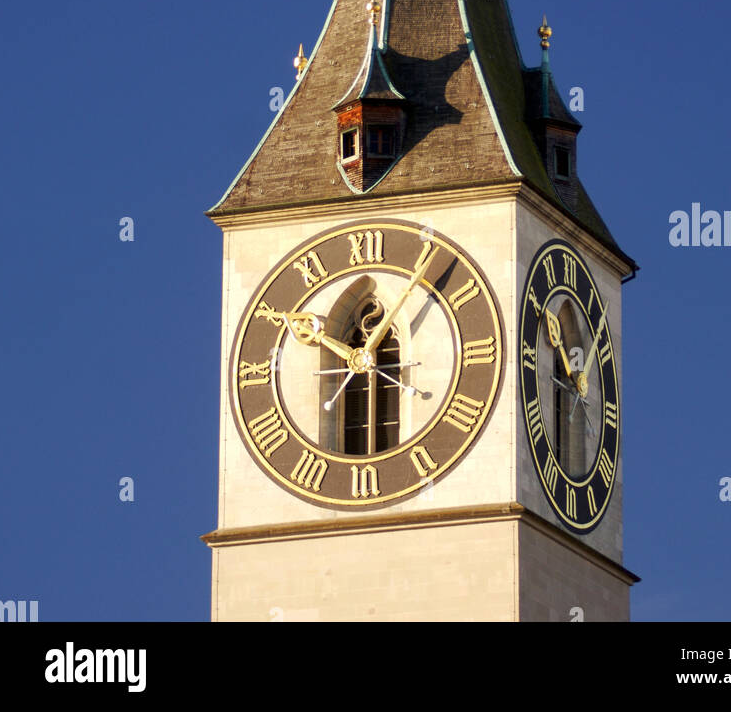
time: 10:07
